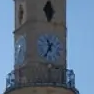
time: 11:35
